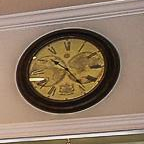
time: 10:23
